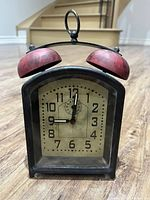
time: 12:01
